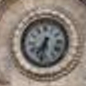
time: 7:32
